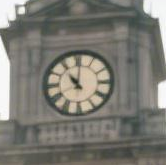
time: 11:00
